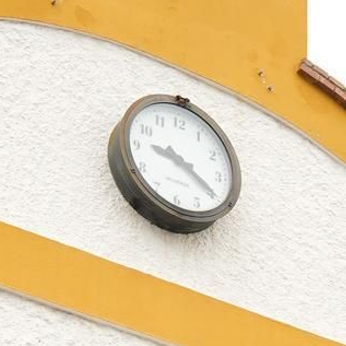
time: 9:20
